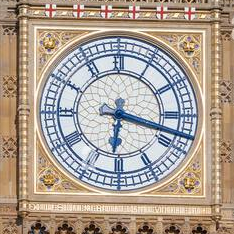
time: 6:17
